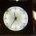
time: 11:36
